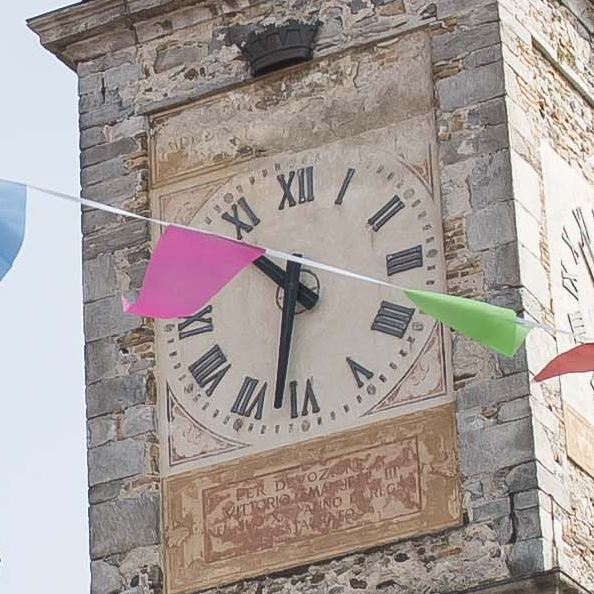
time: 10:32
